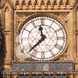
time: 11:37
